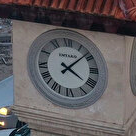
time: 4:08
